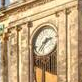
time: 2:36
